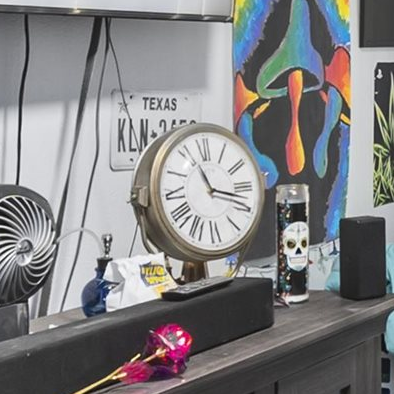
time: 11:17
